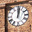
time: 12:02
